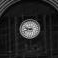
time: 9:42
